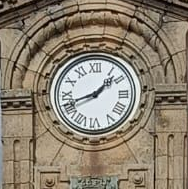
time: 1:41
